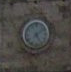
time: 5:08
